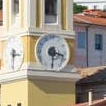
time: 3:30
